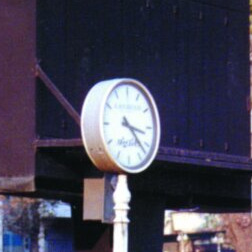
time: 3:22
